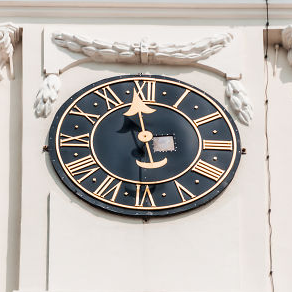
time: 10:58
